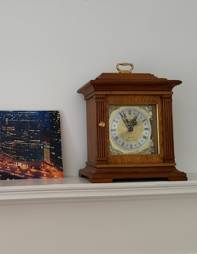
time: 12:55
